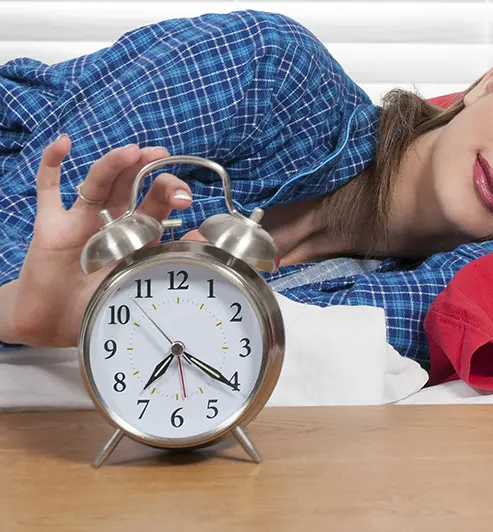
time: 7:20
